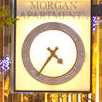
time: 4:35
